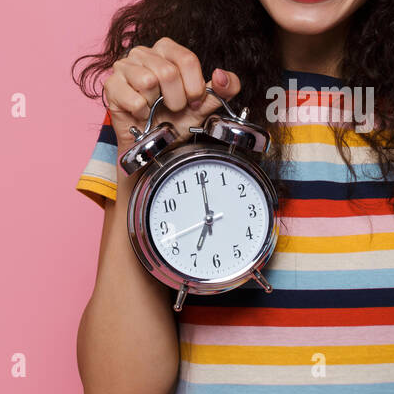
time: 7:00
